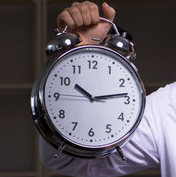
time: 10:13
